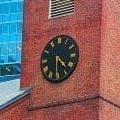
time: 4:30
